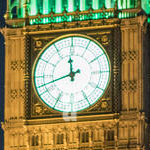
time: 11:42
